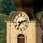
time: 7:12
